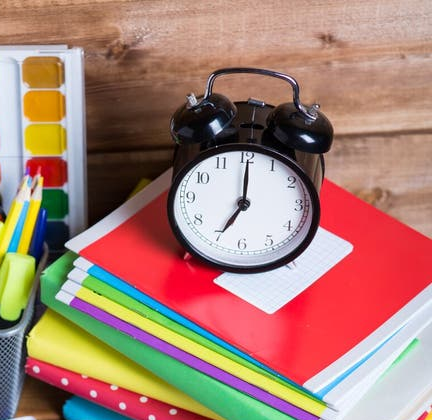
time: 7:00
